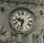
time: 9:33
